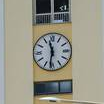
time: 11:31
